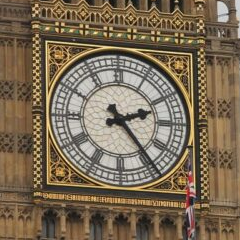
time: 2:23
